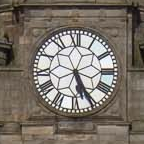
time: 5:25
